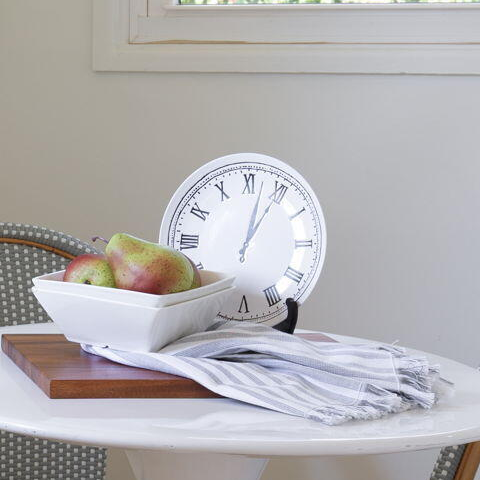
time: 1:02
